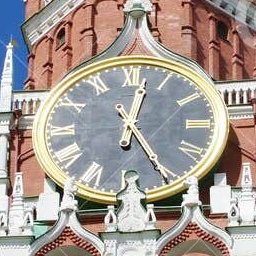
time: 12:25
